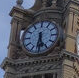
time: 5:31
